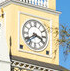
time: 3:39
